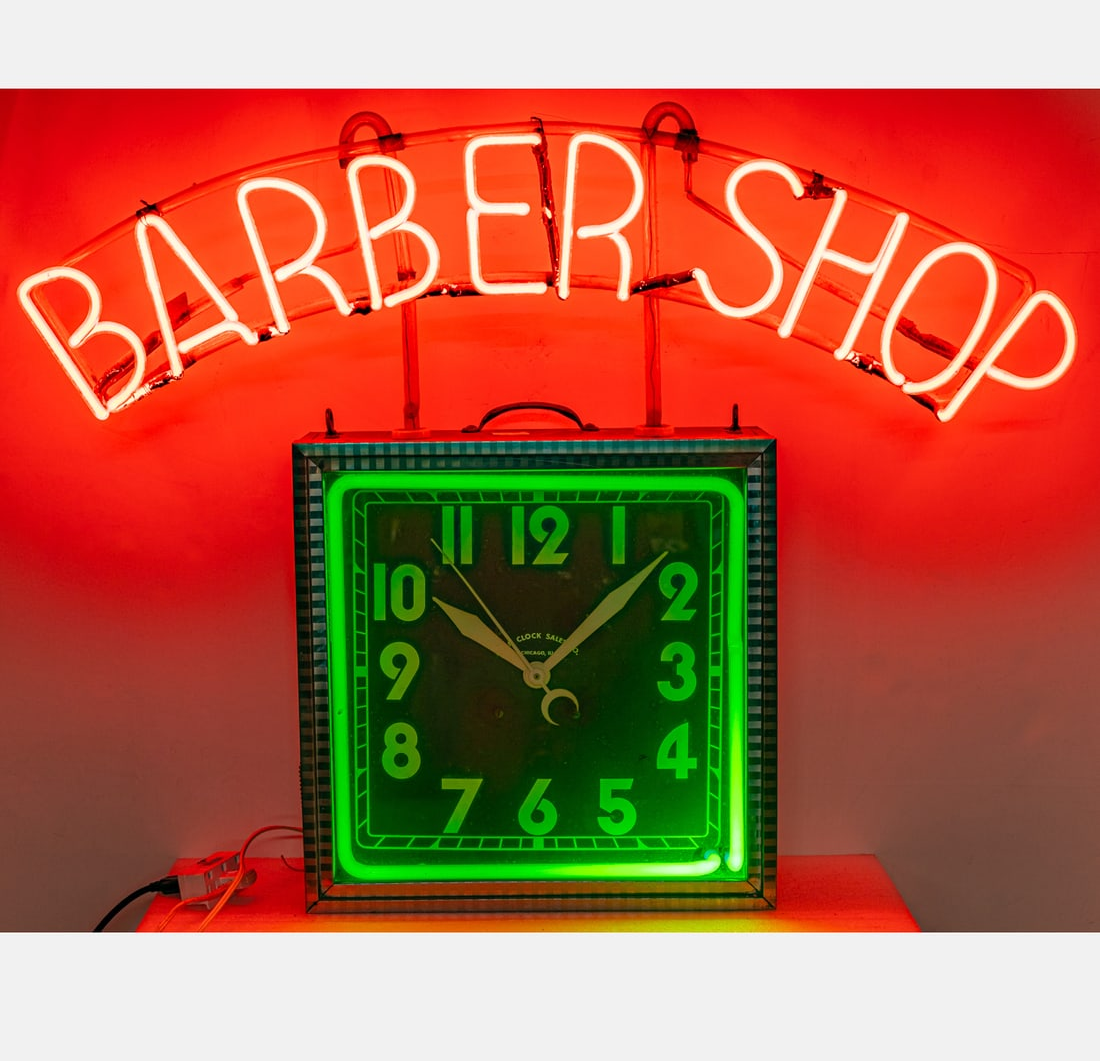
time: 10:07
